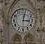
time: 3:02
